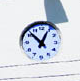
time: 12:52
